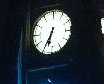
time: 6:34
